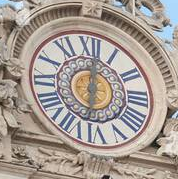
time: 6:01
